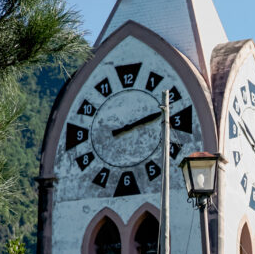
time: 2:12
